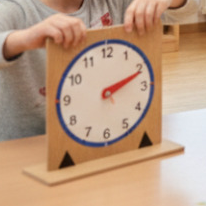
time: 2:11
